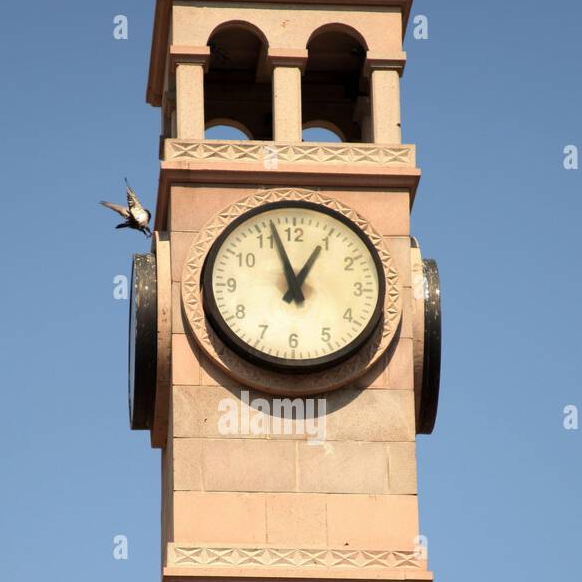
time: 12:57
